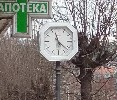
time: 11:21
